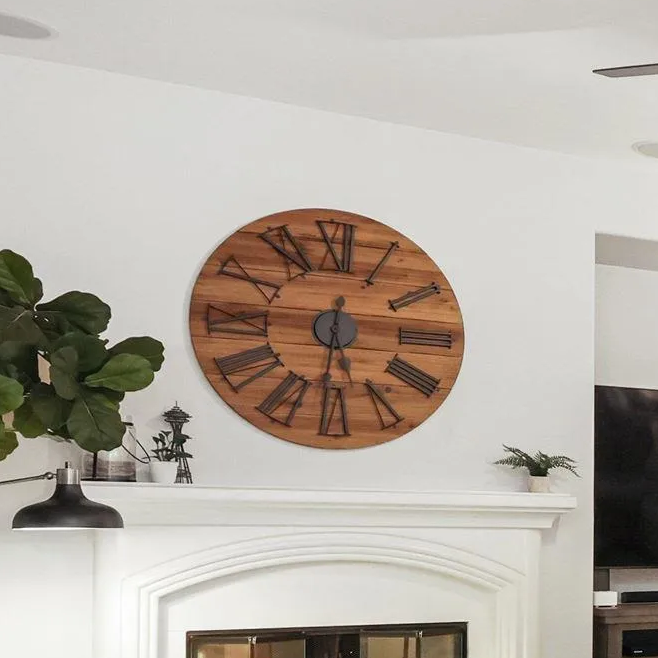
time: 5:31
